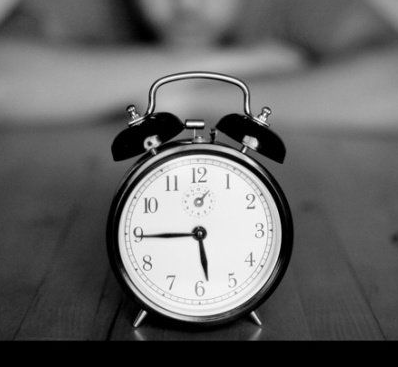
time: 5:44
